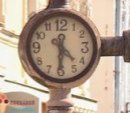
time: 4:30
